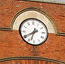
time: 6:40
